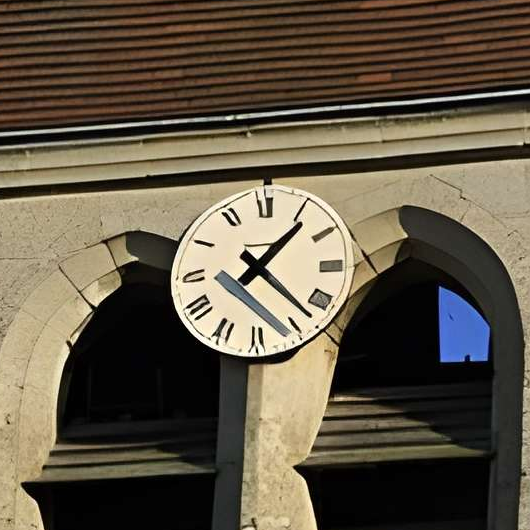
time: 1:22
